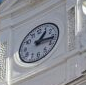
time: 1:16
